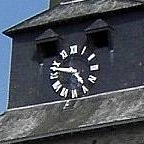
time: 4:46
